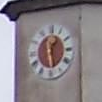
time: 1:28
